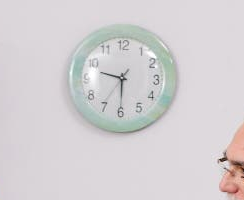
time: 9:30
